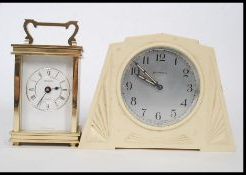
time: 9:51
